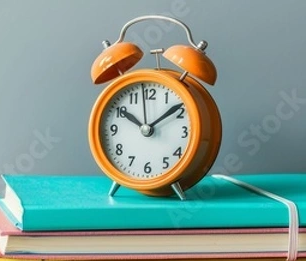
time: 10:08
